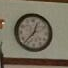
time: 12:37
